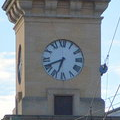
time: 6:41
